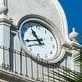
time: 10:42
